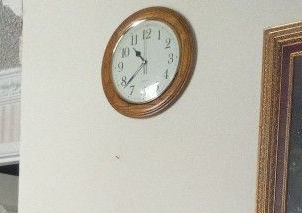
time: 10:38
